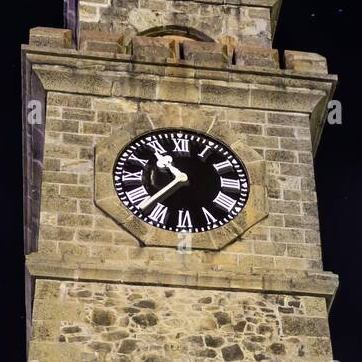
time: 10:37
